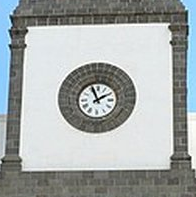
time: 1:56
